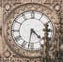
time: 4:31
